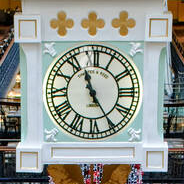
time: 11:24
